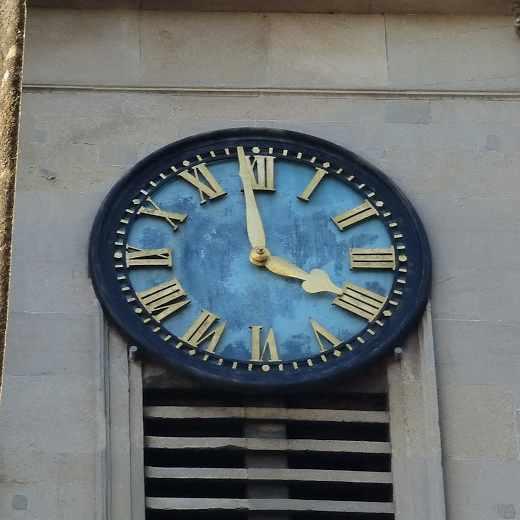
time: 3:58
